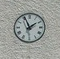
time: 1:56
